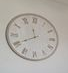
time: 11:40
